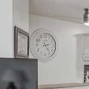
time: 2:23
